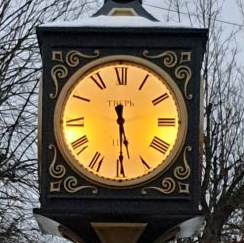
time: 5:29
